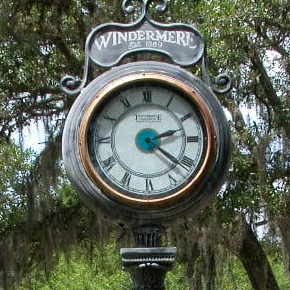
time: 2:21
